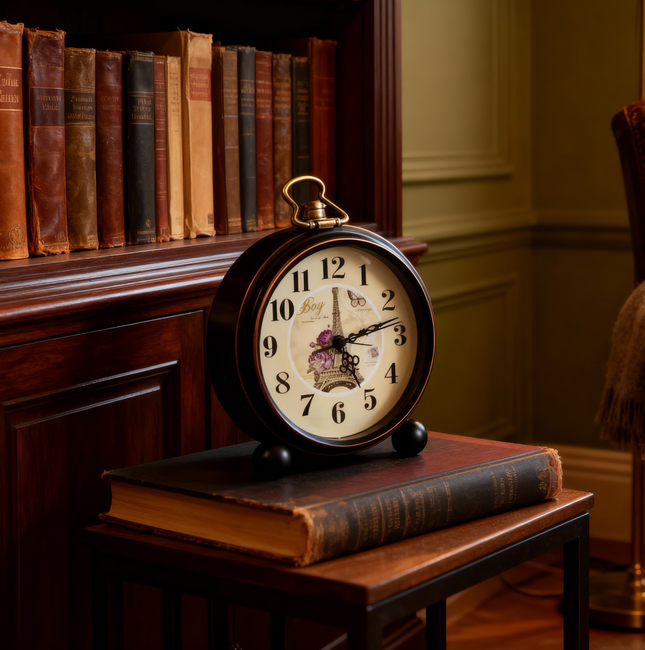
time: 5:12
